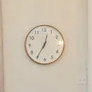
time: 12:35
